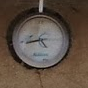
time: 4:43
